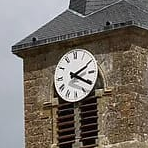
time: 2:20
